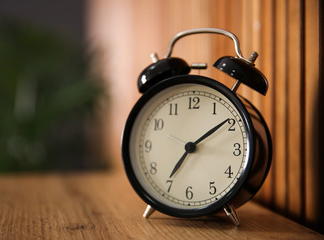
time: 7:09
